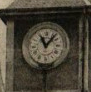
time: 11:07
